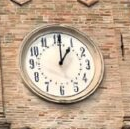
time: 1:00
